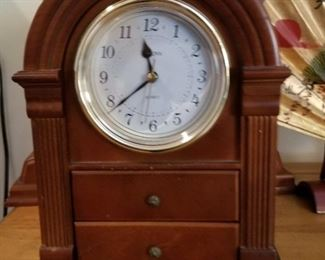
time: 11:38
